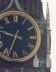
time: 9:33
